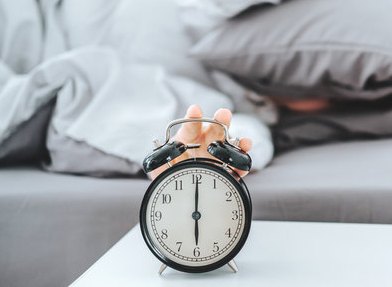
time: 6:00
